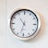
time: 10:32
